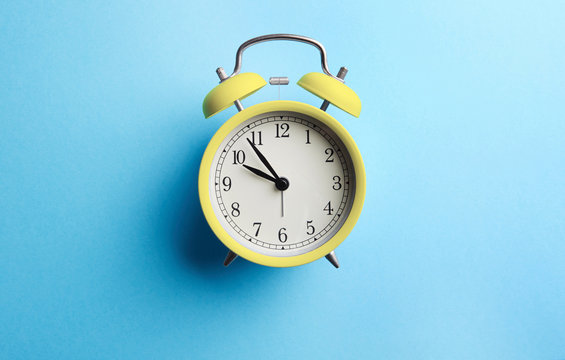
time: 9:53
